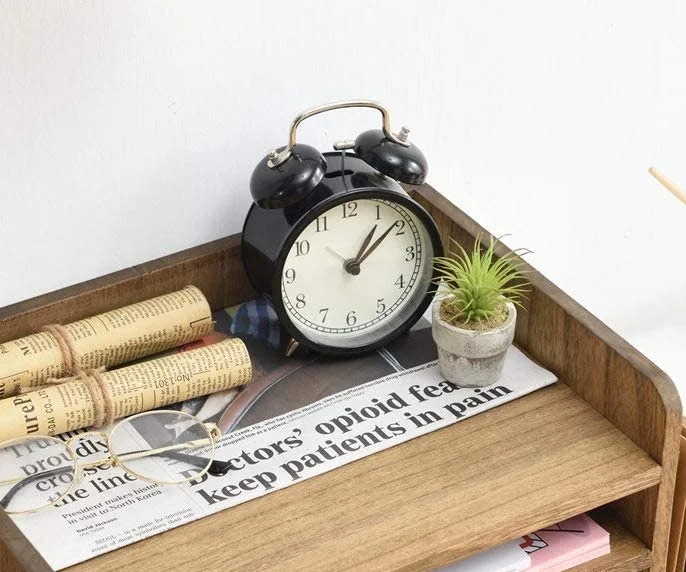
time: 1:08
